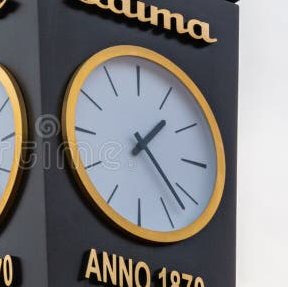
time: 1:22
